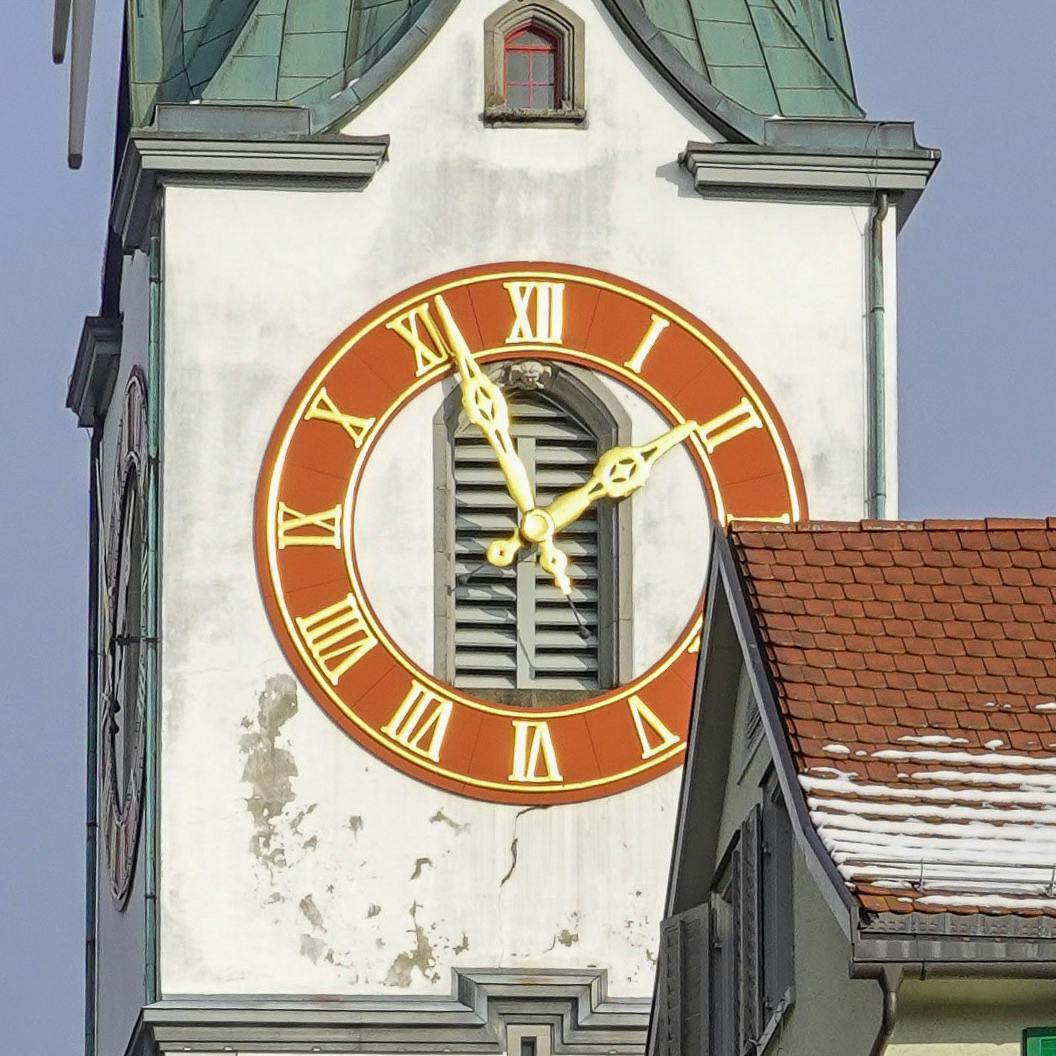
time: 1:56
